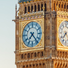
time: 7:23
